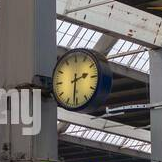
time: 2:31
